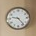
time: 9:23
